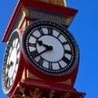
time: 9:38
